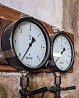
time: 1:36
